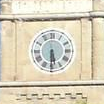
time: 5:30
